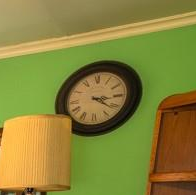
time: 3:21
